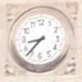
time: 8:37
